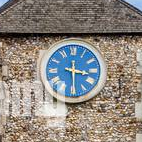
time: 3:29
